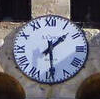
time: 1:29
